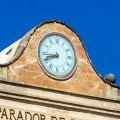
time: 8:41
